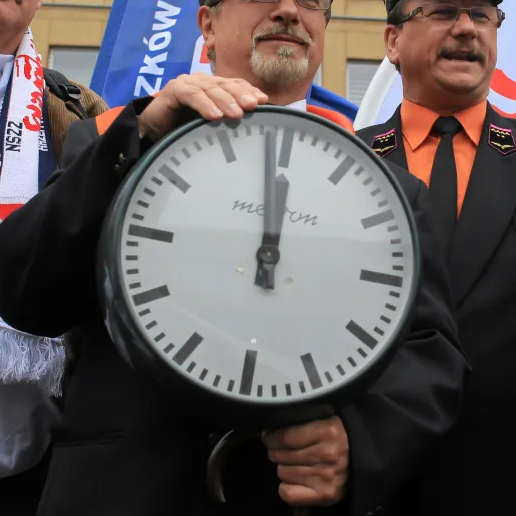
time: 11:58
